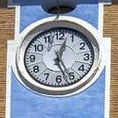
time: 12:26
